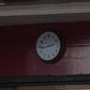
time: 2:43
